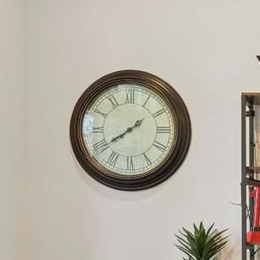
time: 1:39
